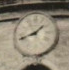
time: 1:41
